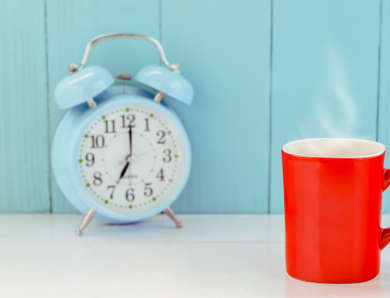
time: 7:00
